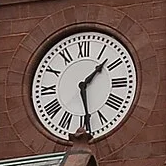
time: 1:28
